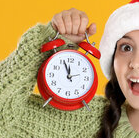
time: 11:56
